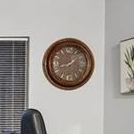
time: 1:42
